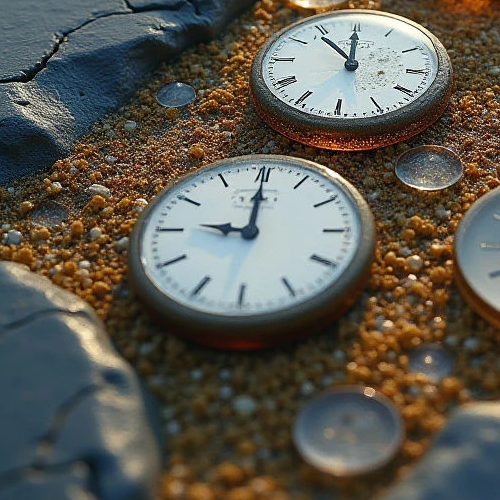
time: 9:00
